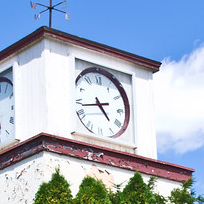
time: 4:42
